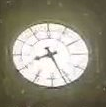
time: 8:26
